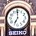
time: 6:59
